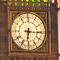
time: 6:15
